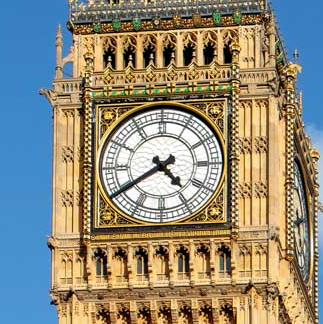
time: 4:39
